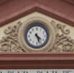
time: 4:26
